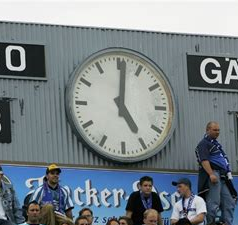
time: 5:01
